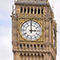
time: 3:00
